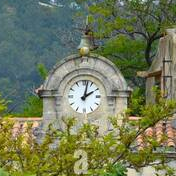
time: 2:02
